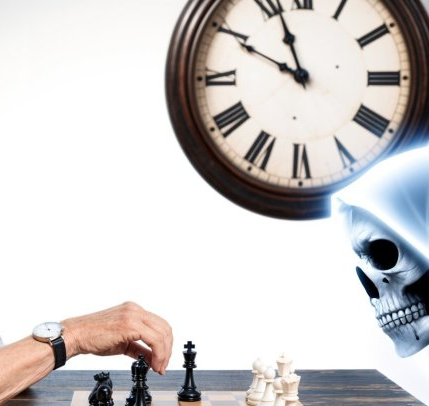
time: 9:56
